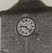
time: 9:23
